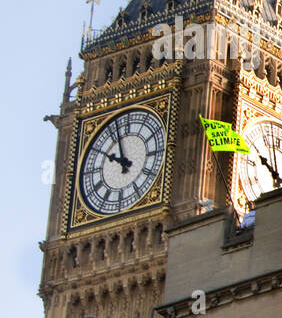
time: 9:57
